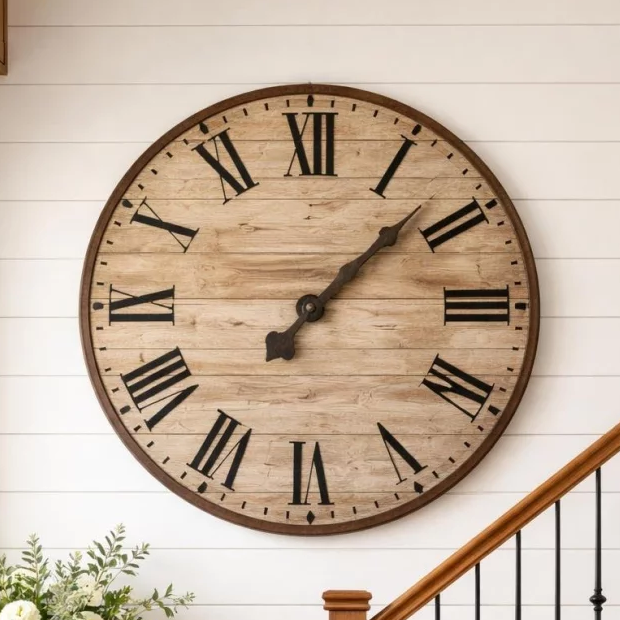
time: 1:07
